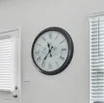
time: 11:36
